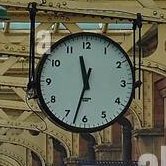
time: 11:32
